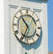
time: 10:34
